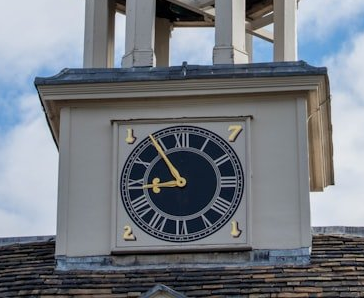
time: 8:54
